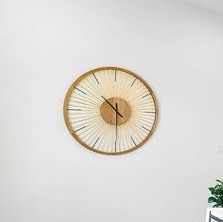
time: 10:30
